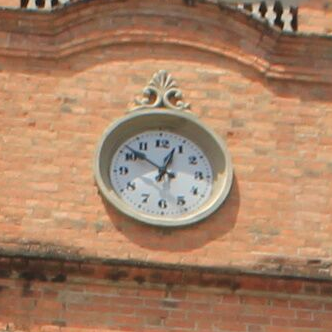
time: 12:51
